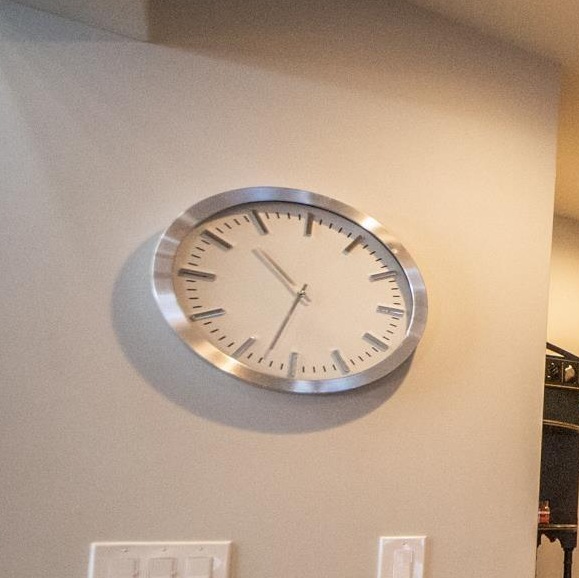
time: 10:32
